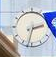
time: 2:32
